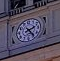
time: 2:24
